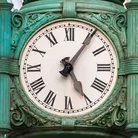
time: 5:05
